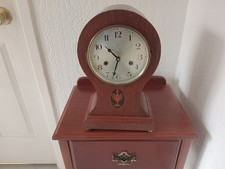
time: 10:32
